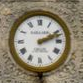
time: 2:11
